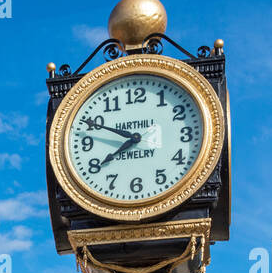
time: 7:48
